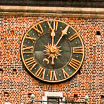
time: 12:05
